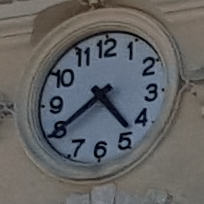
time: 4:39
